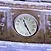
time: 11:25
